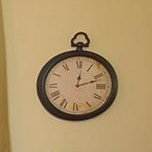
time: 12:11
